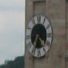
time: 4:35
